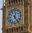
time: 12:24
